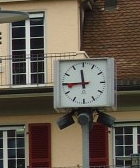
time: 11:44
